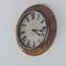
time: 4:16
